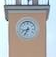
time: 8:34
